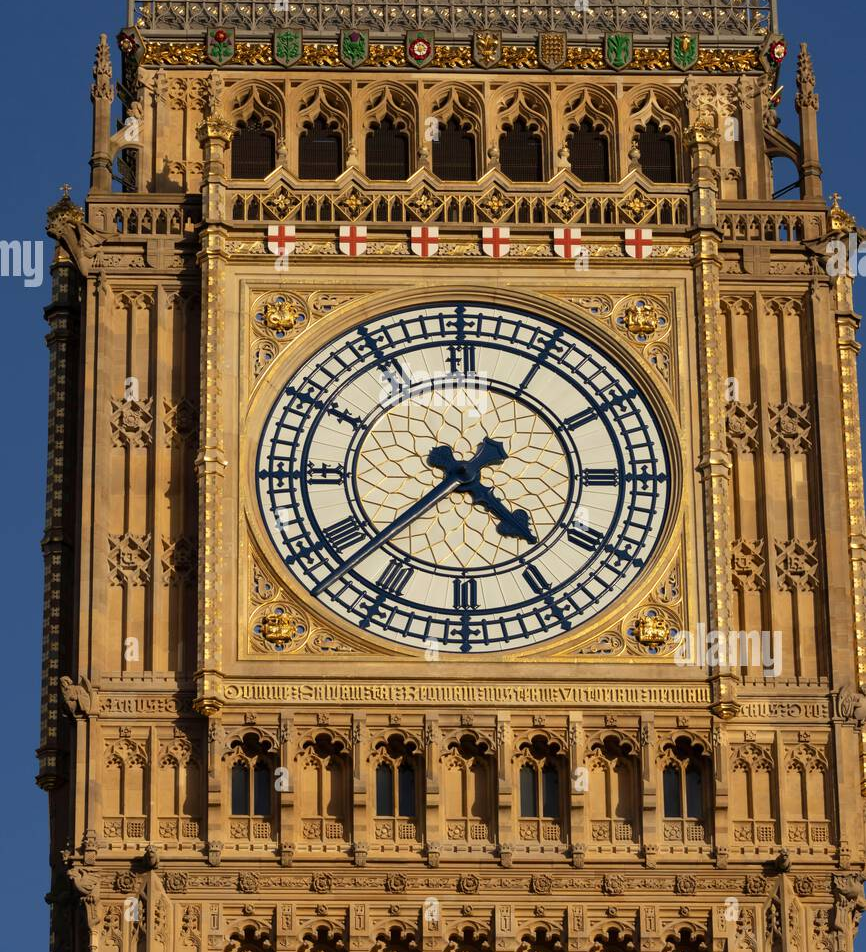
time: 4:37
